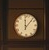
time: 12:07
